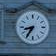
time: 8:35
